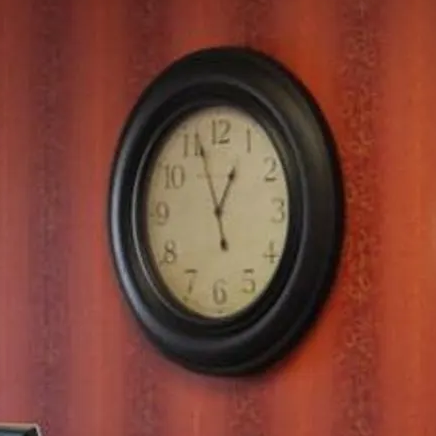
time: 12:57
